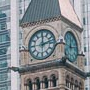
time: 12:12
